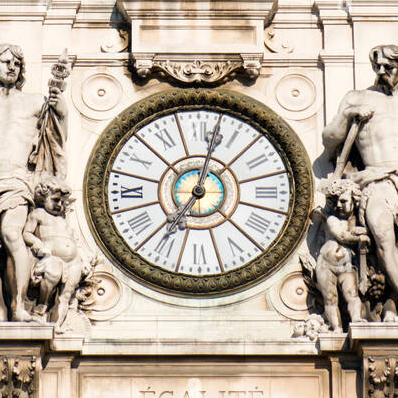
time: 7:02
